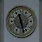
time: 11:28
